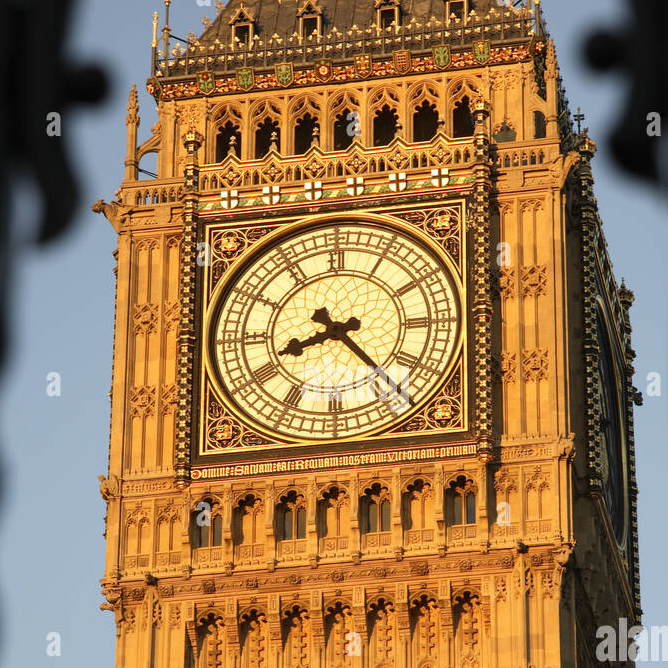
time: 8:23
